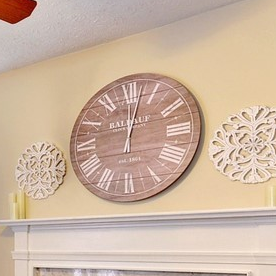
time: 12:02
